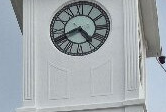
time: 4:41
